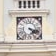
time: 4:17
